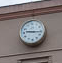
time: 9:16
